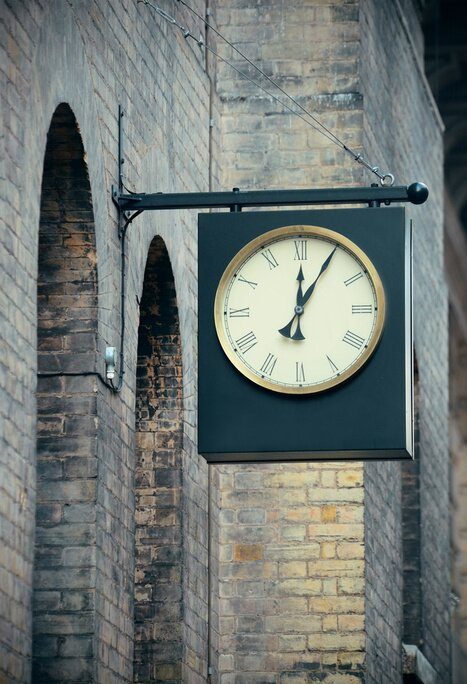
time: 12:04
